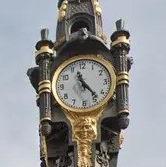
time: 11:23
